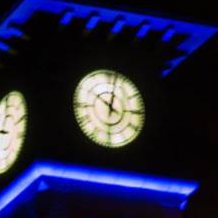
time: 10:02
